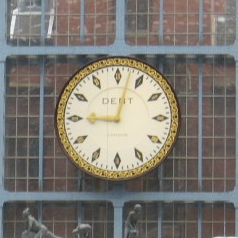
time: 9:02
